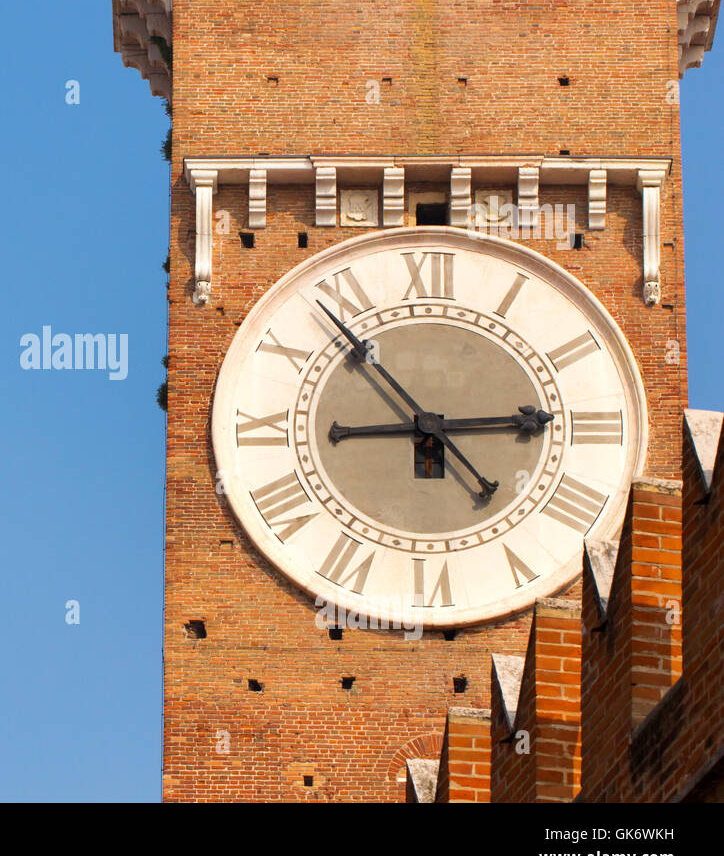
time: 2:53
